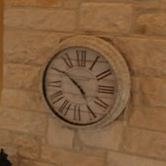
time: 4:50
